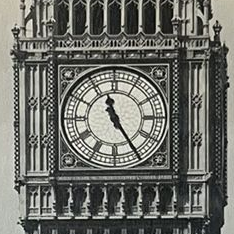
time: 11:24
